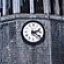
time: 2:21
